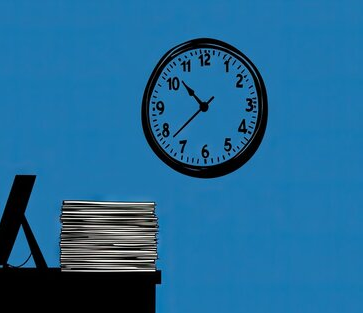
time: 10:37
